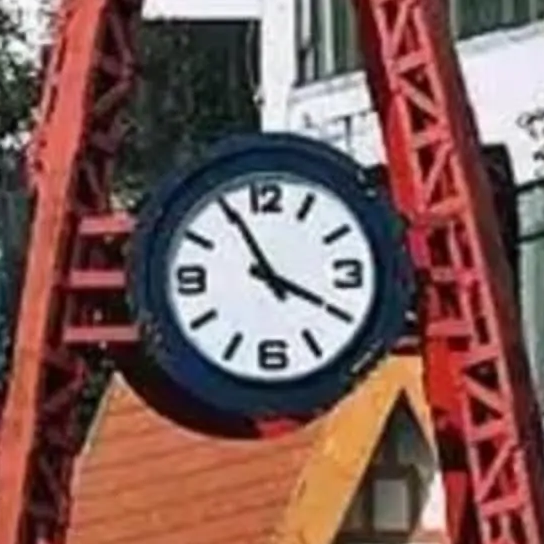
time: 3:55
